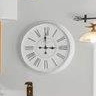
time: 2:59
